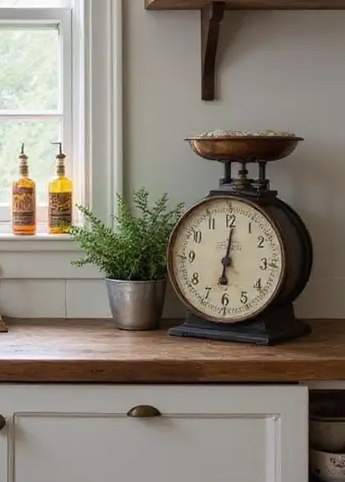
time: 6:00
